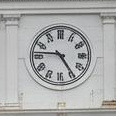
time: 4:46
